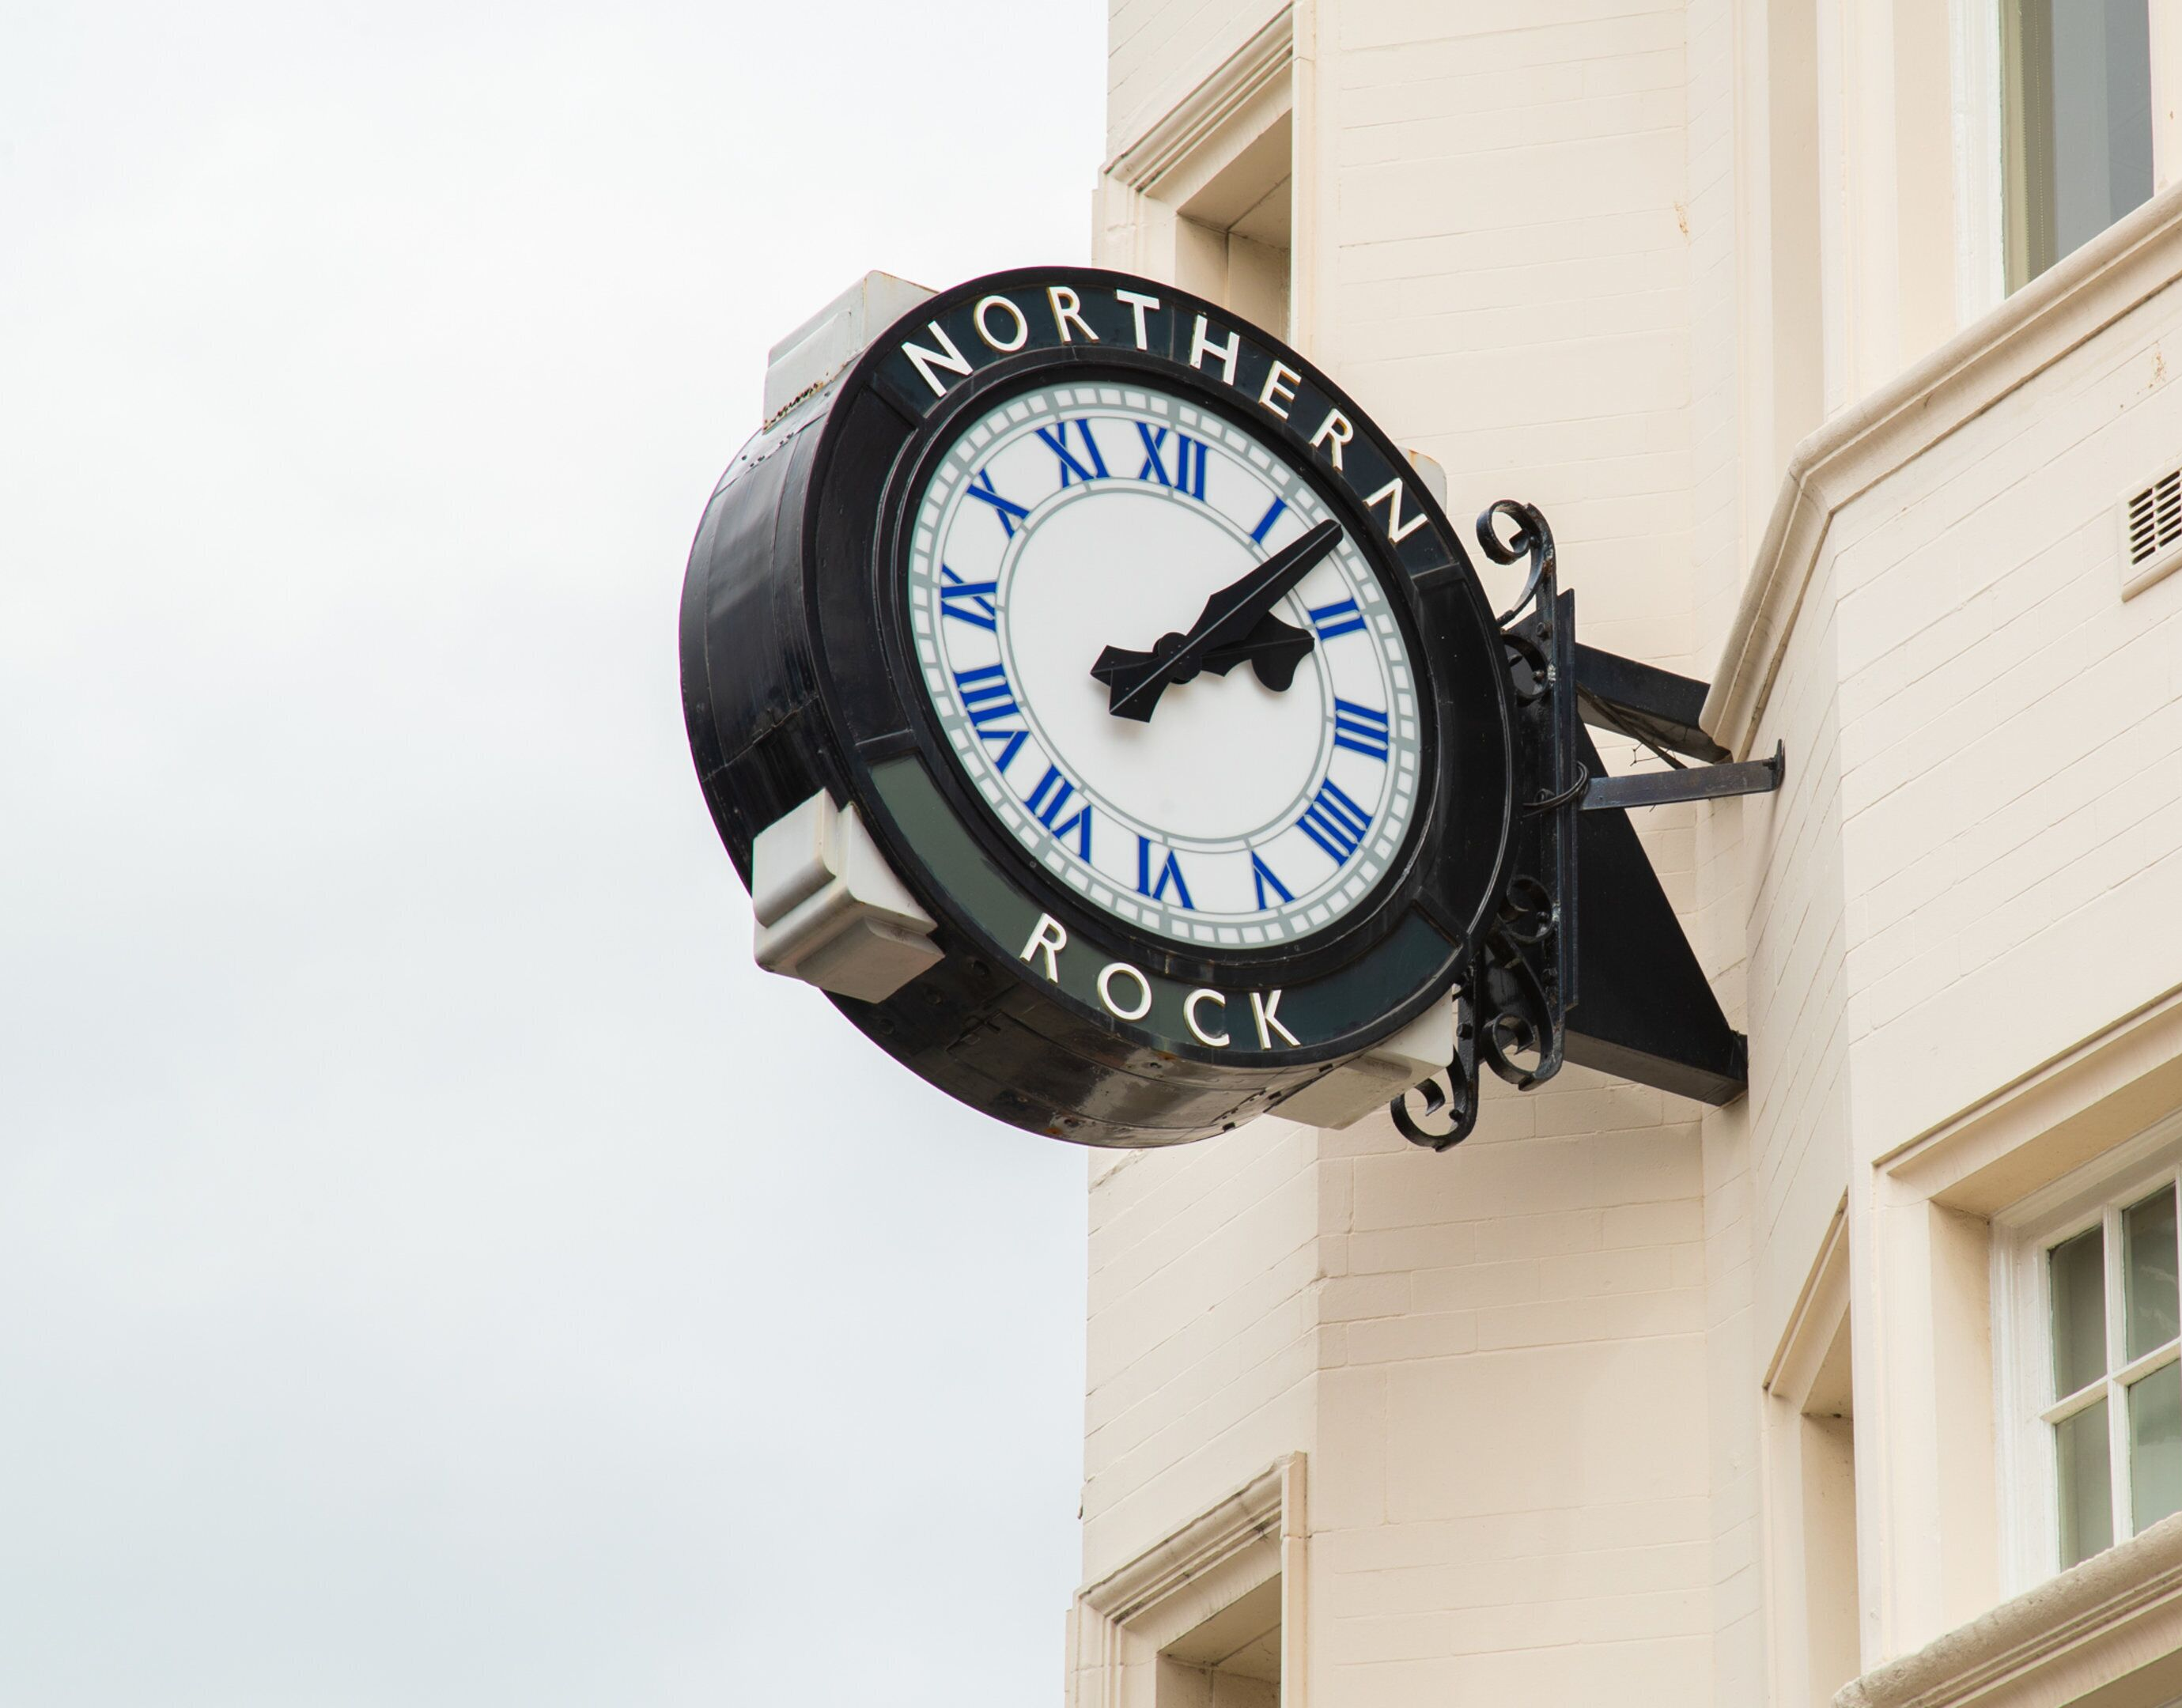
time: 2:07
